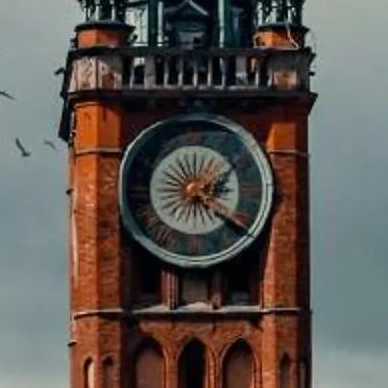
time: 2:21
